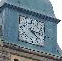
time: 3:22
